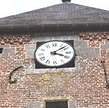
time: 4:08
